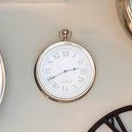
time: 2:40
